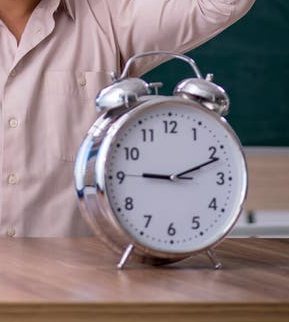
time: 9:11
